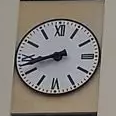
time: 8:42
